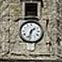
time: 1:32
